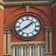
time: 1:39
